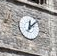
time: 12:07
